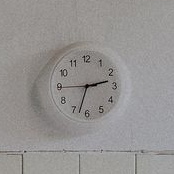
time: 2:33
